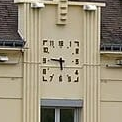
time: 5:46
